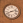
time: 8:12
